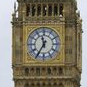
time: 11:35
